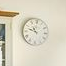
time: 10:47
